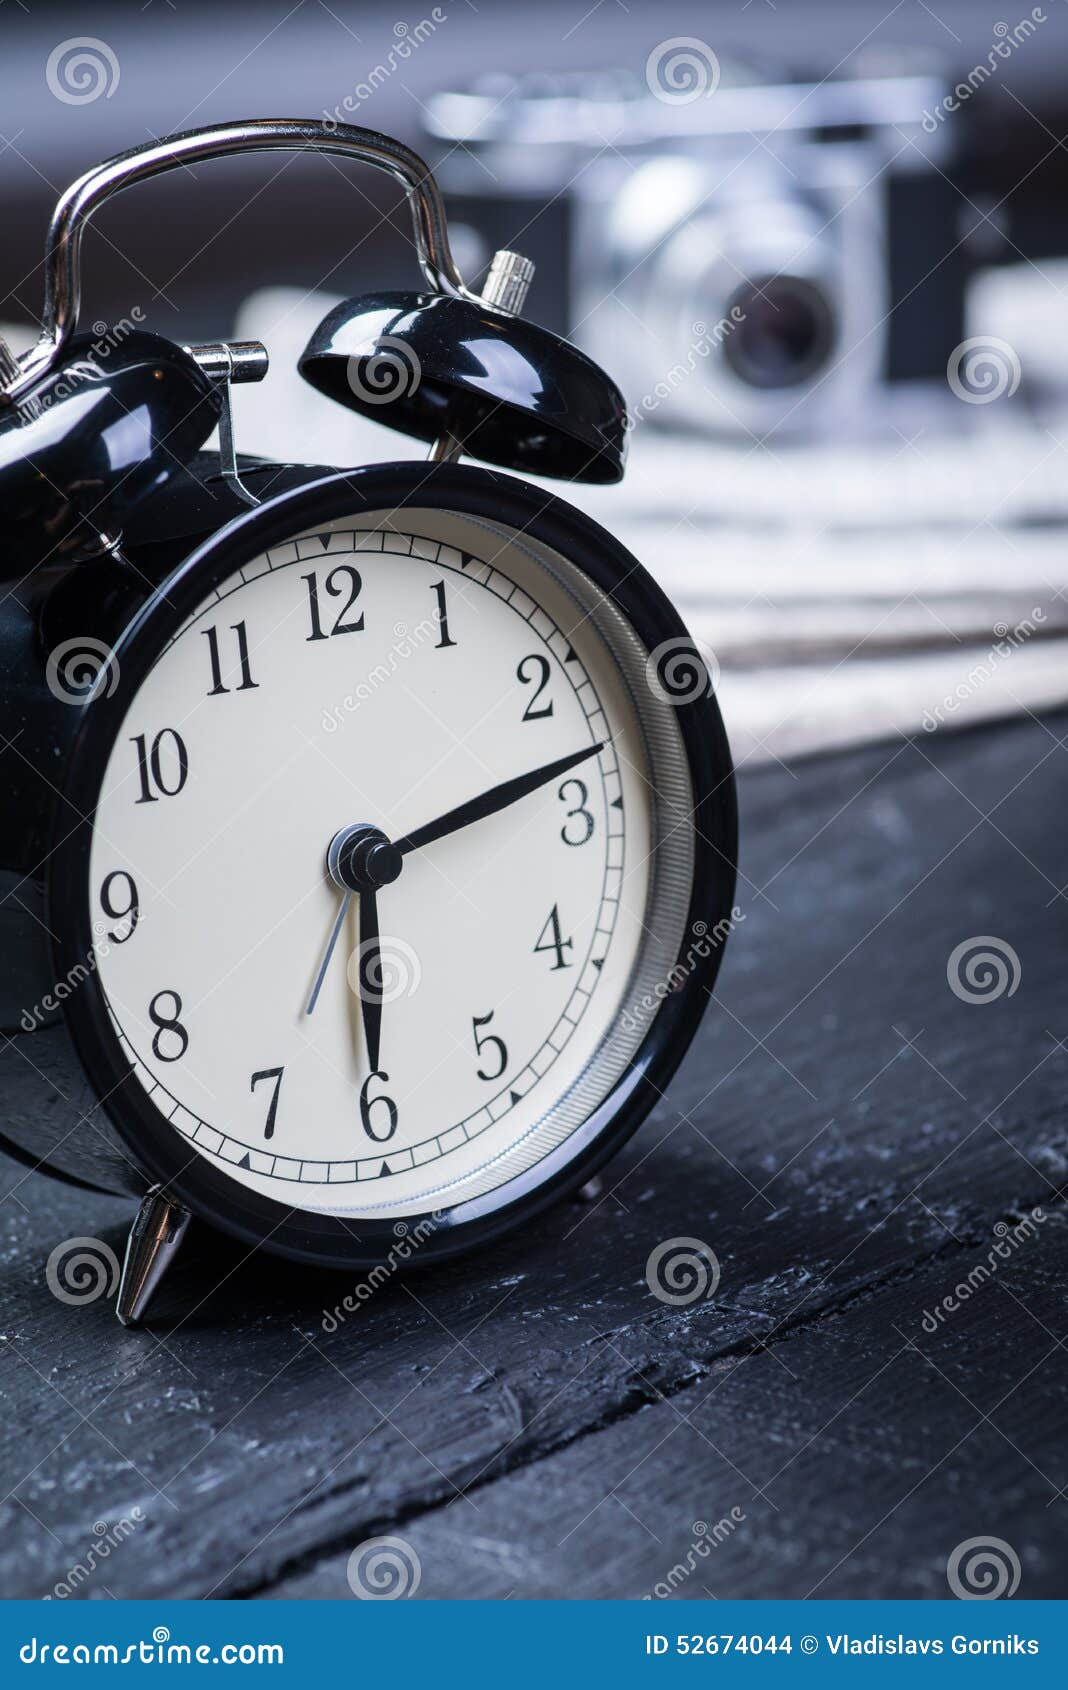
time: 6:13
